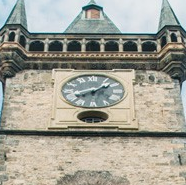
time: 8:07
